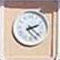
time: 2:21
